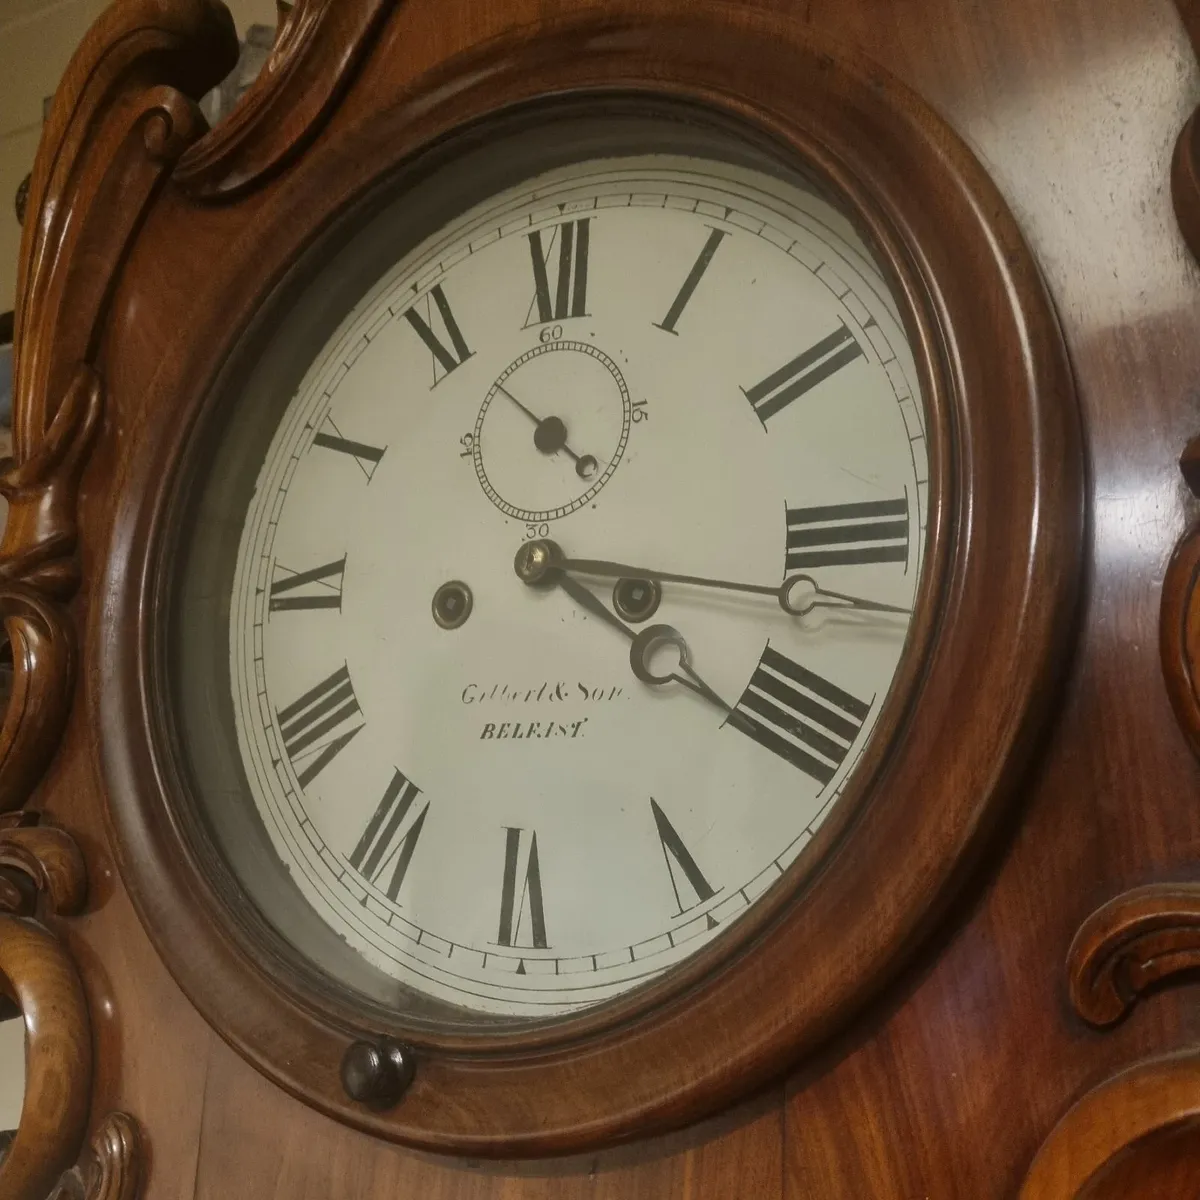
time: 3:20
